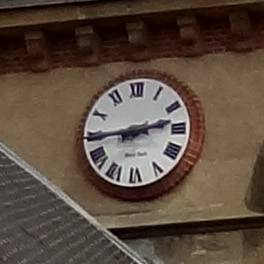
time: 2:44
